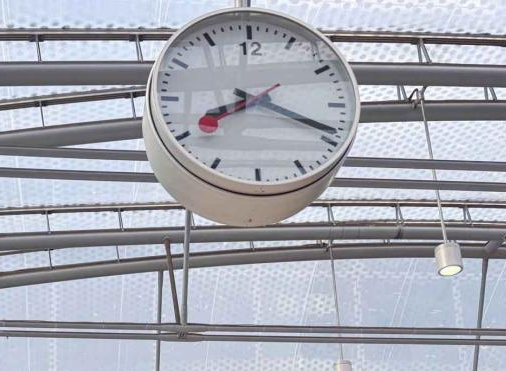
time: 8:18
